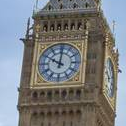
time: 10:00
